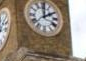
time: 2:00
